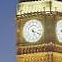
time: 5:18
